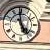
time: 4:59
